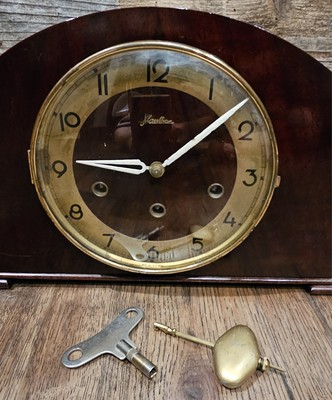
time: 9:08
